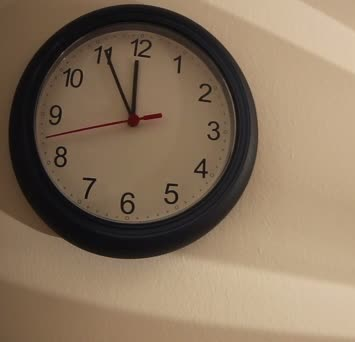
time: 11:55
